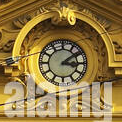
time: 3:08
